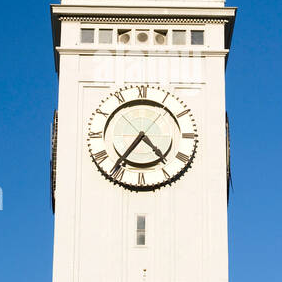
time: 4:36
